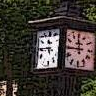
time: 11:45
